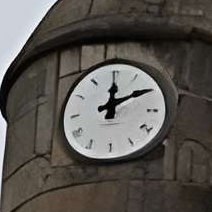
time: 12:09
